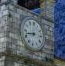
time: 8:42
